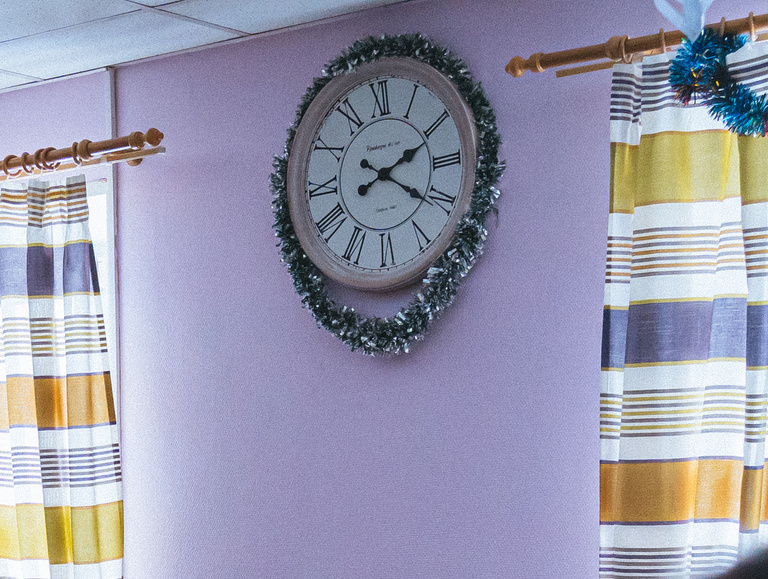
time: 4:10
